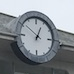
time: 12:51
